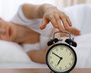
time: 6:50
